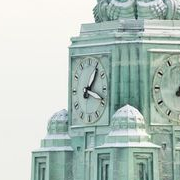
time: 1:18
